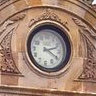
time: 2:19
